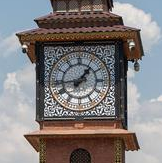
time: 1:44
